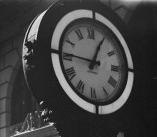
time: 12:45
